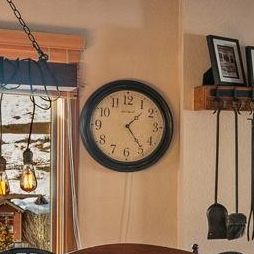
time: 1:24
